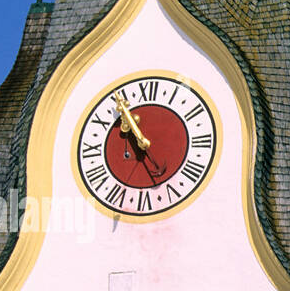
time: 10:54
